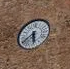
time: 5:38
